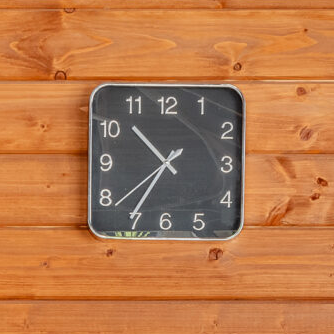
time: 10:35
